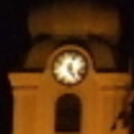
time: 5:03
